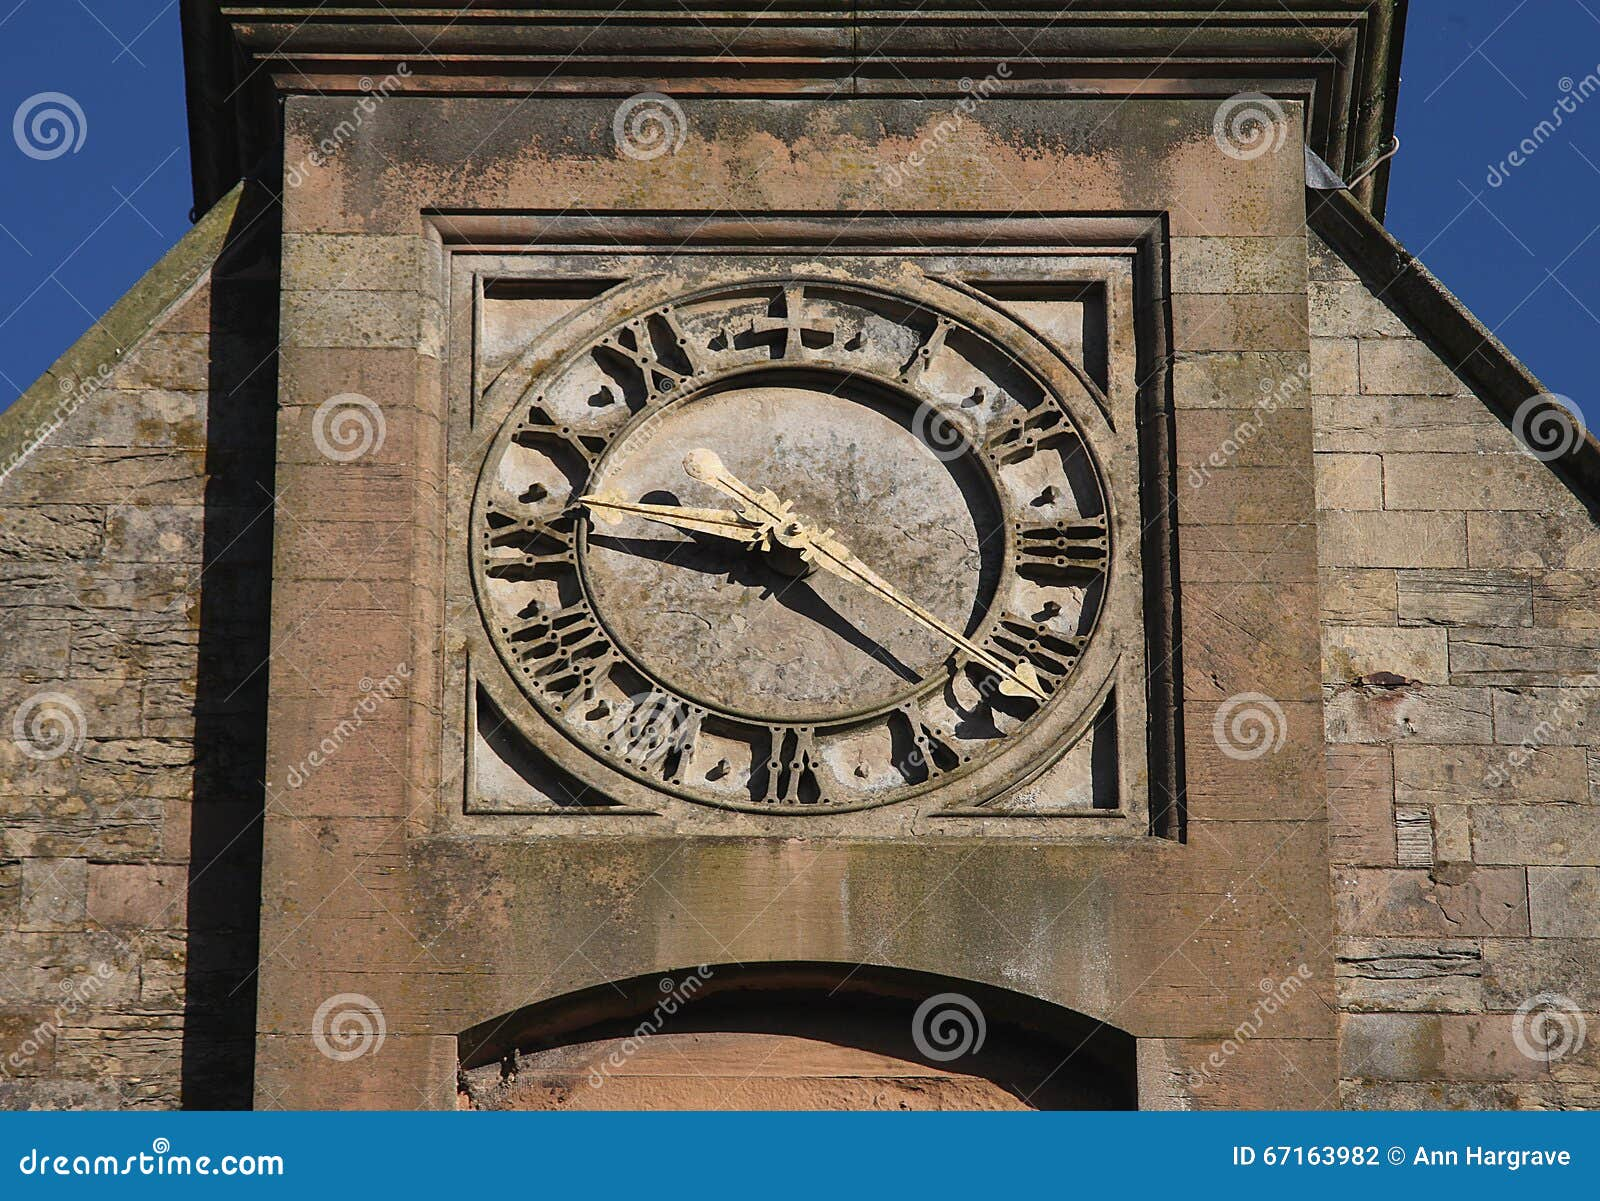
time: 9:22
